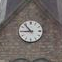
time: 8:53
